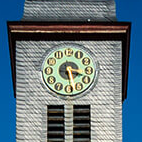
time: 3:28
